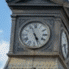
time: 4:56
